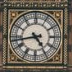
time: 4:43
